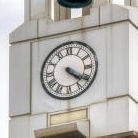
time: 4:20
